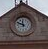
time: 11:48
